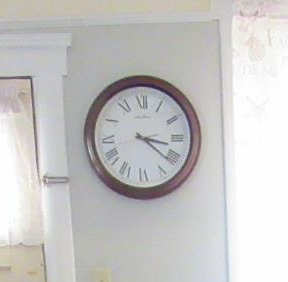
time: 3:21
